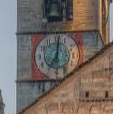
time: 7:01
